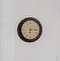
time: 6:14
